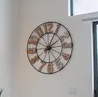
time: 2:04
